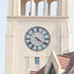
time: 4:20
